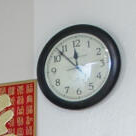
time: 11:52
